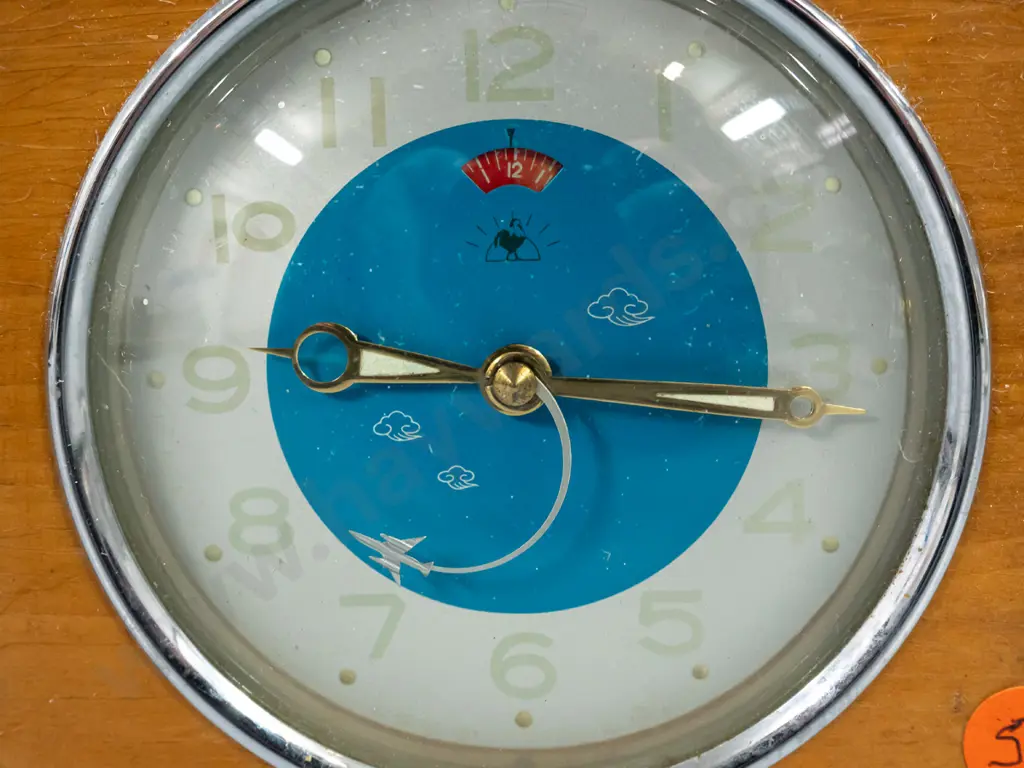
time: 9:15
